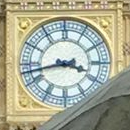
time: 3:42
